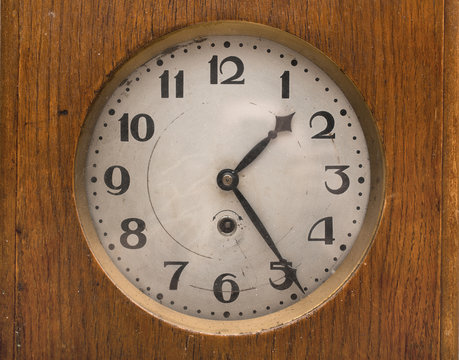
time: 1:24
